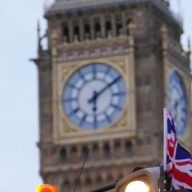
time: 6:09
